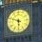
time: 5:48
